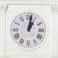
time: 1:02
